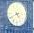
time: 4:40
